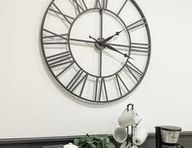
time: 2:00
